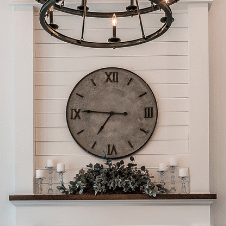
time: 6:45
